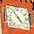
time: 4:54
